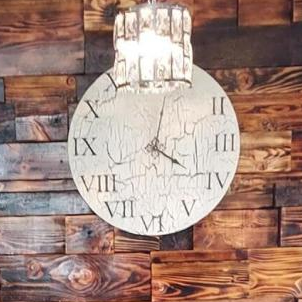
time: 4:02
